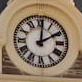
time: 2:00
